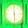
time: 5:59
